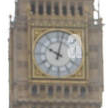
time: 10:02
